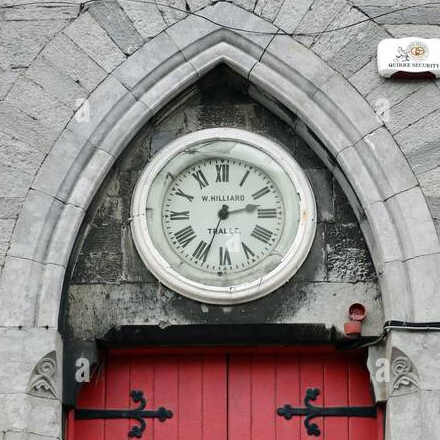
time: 2:33
